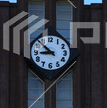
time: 8:52
